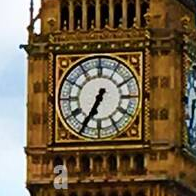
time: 6:34
